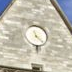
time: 11:22
